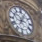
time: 7:04
